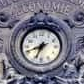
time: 6:41
